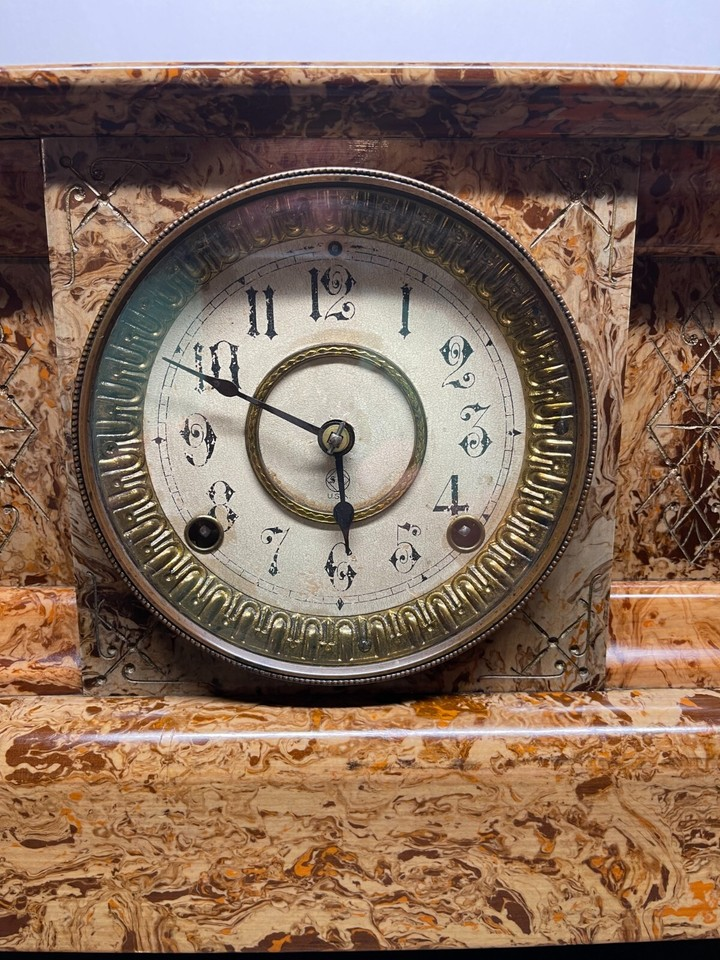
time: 5:49
